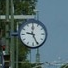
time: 9:25
